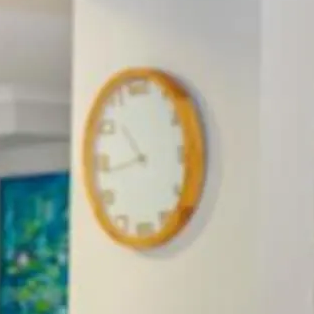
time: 10:43
